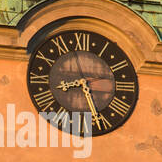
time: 8:26
